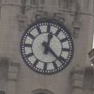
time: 12:21
